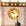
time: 9:53
